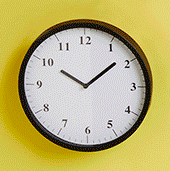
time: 10:08
